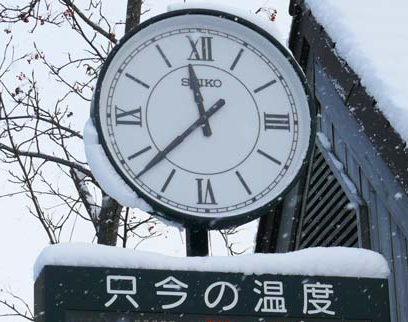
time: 11:37
